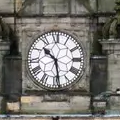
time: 10:28
